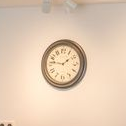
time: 1:46
